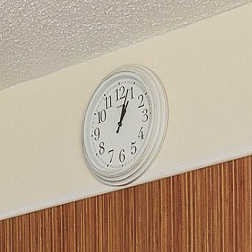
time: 1:03
